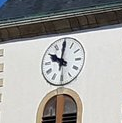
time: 10:00
